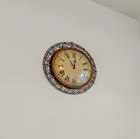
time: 11:01
